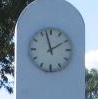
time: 1:57
